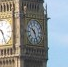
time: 10:26
